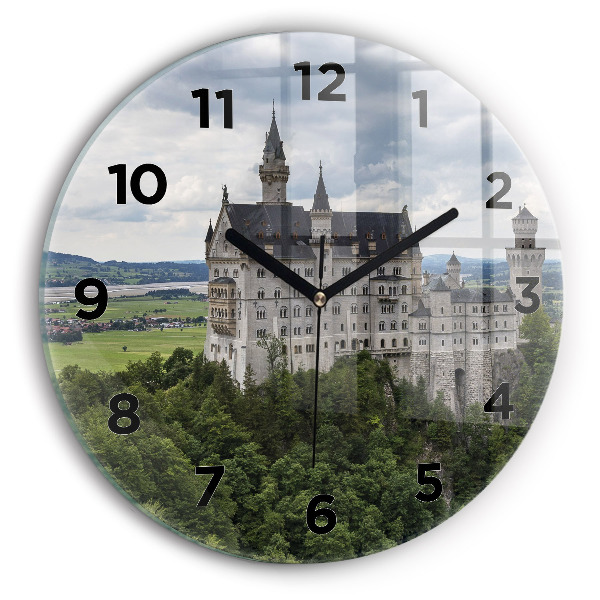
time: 10:10
